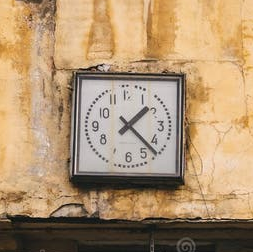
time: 1:22
